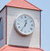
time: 12:35
